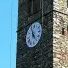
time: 4:57
